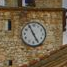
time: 4:55
